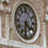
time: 4:31
